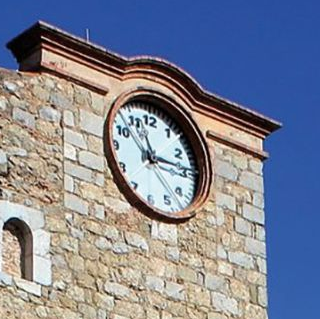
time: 11:13
